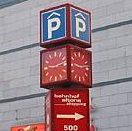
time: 9:13
